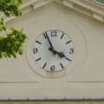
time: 3:56
